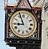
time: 8:56
